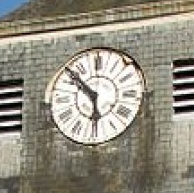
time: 5:51
